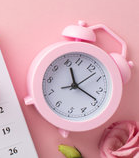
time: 11:18
